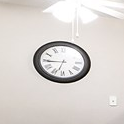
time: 6:44
